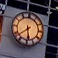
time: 5:38
